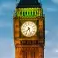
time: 7:27
